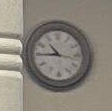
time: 10:45
